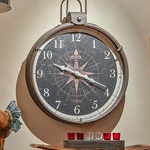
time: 3:48
